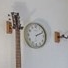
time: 2:11
